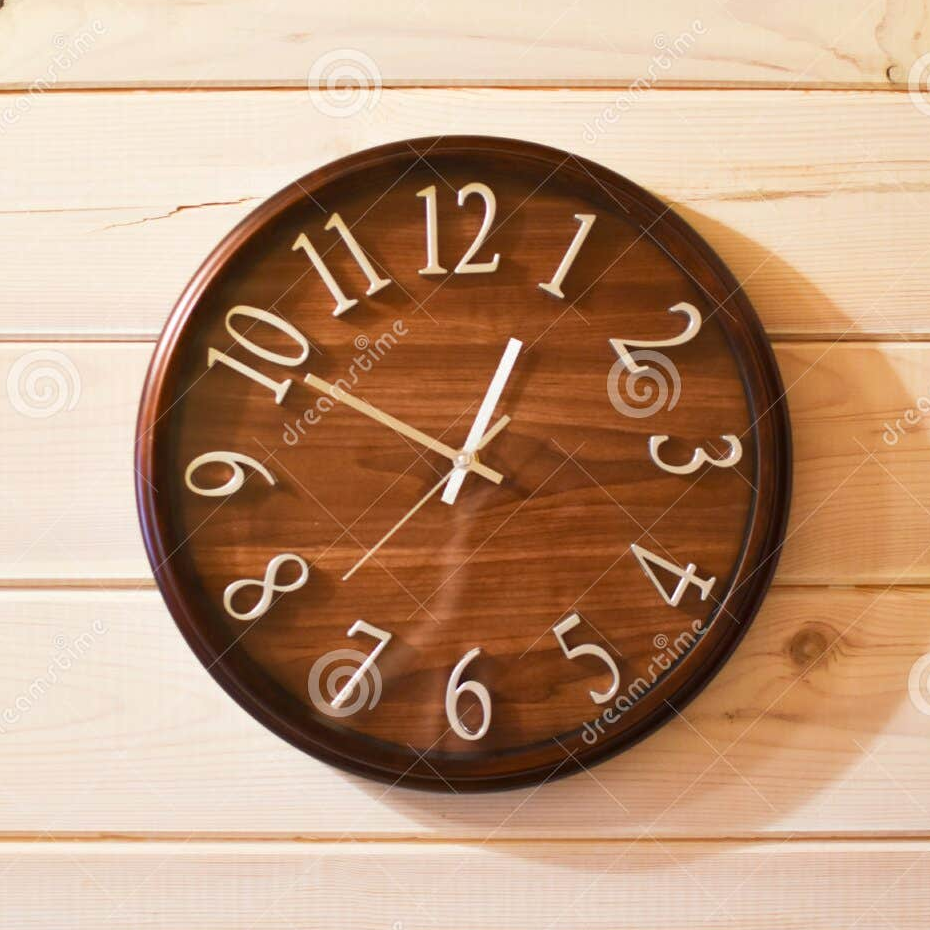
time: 12:50
